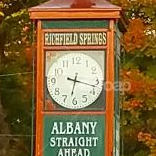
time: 6:17
